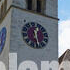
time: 12:28
